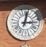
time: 3:02
